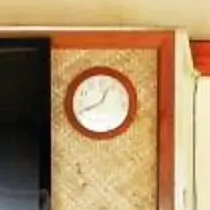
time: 12:40
